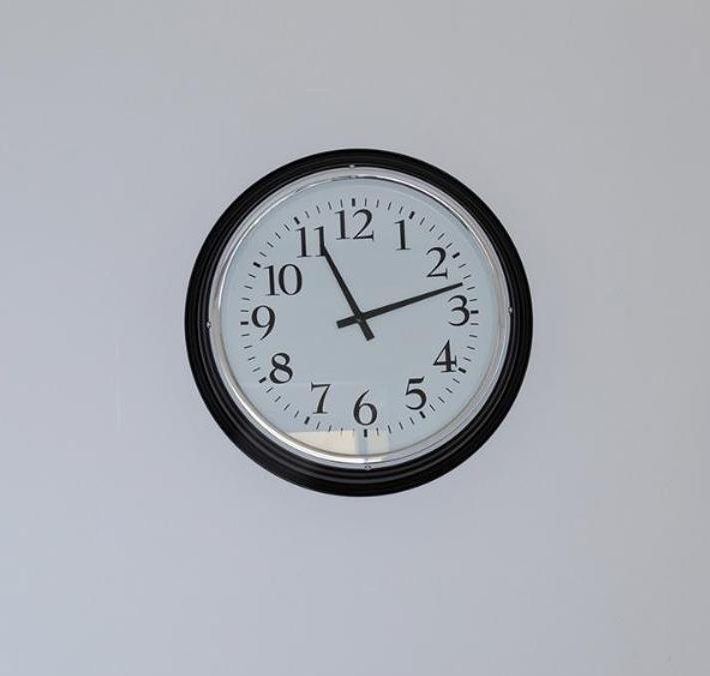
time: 11:12
